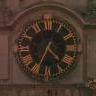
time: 4:34
